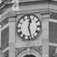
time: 12:27
